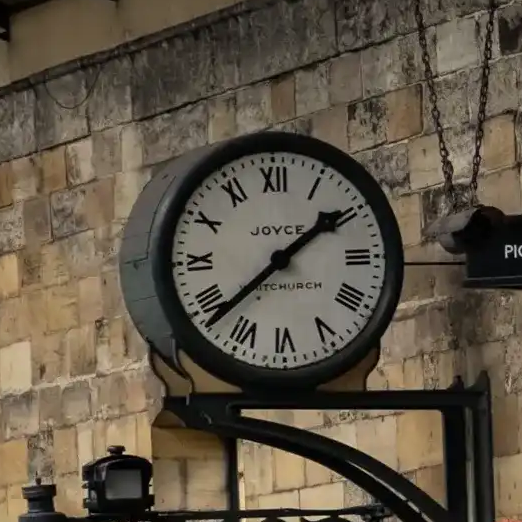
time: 1:38
